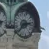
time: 2:38
